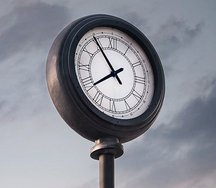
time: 7:54
